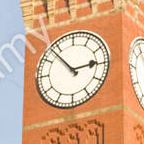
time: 2:53
